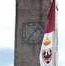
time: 7:07
